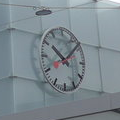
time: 10:07
